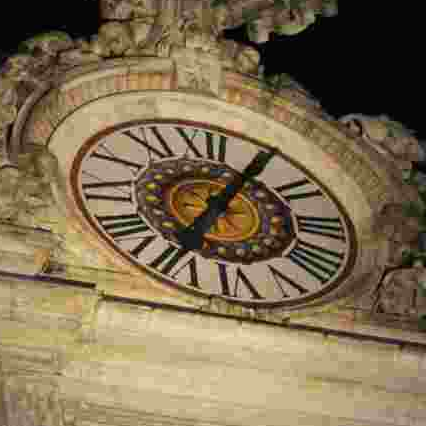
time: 7:05
